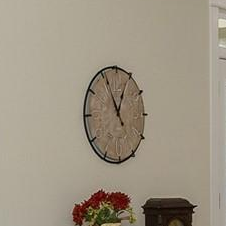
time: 12:55
